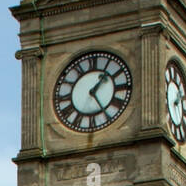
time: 1:24
